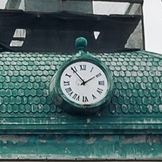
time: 1:54
